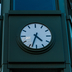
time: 4:33
